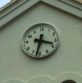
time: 3:32
